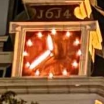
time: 11:37
